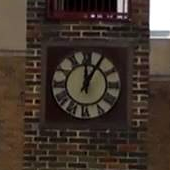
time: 12:05
